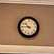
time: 9:44
